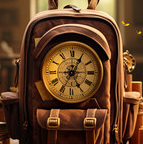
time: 5:04
